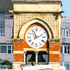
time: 11:11
